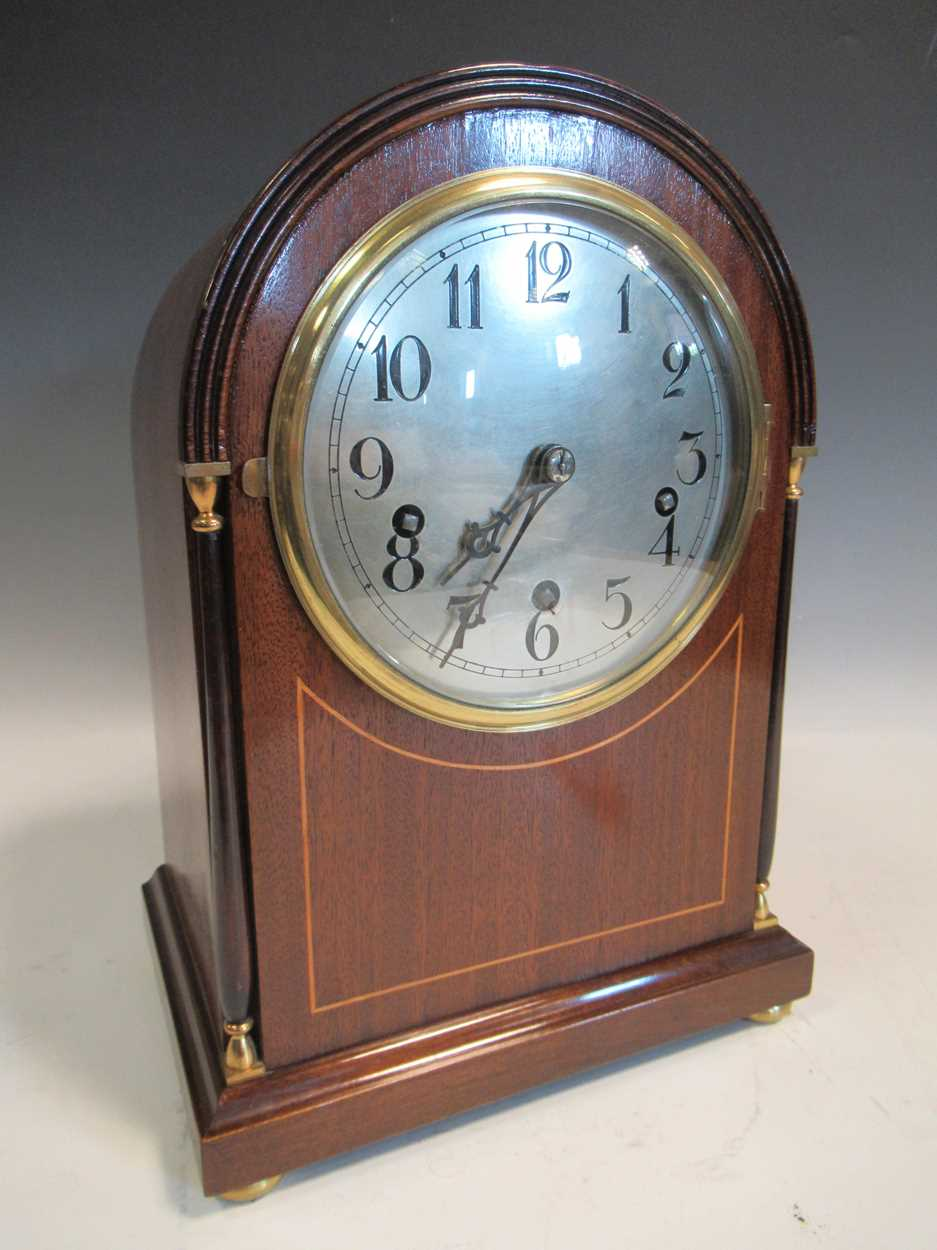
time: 7:35
